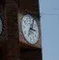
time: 3:04
